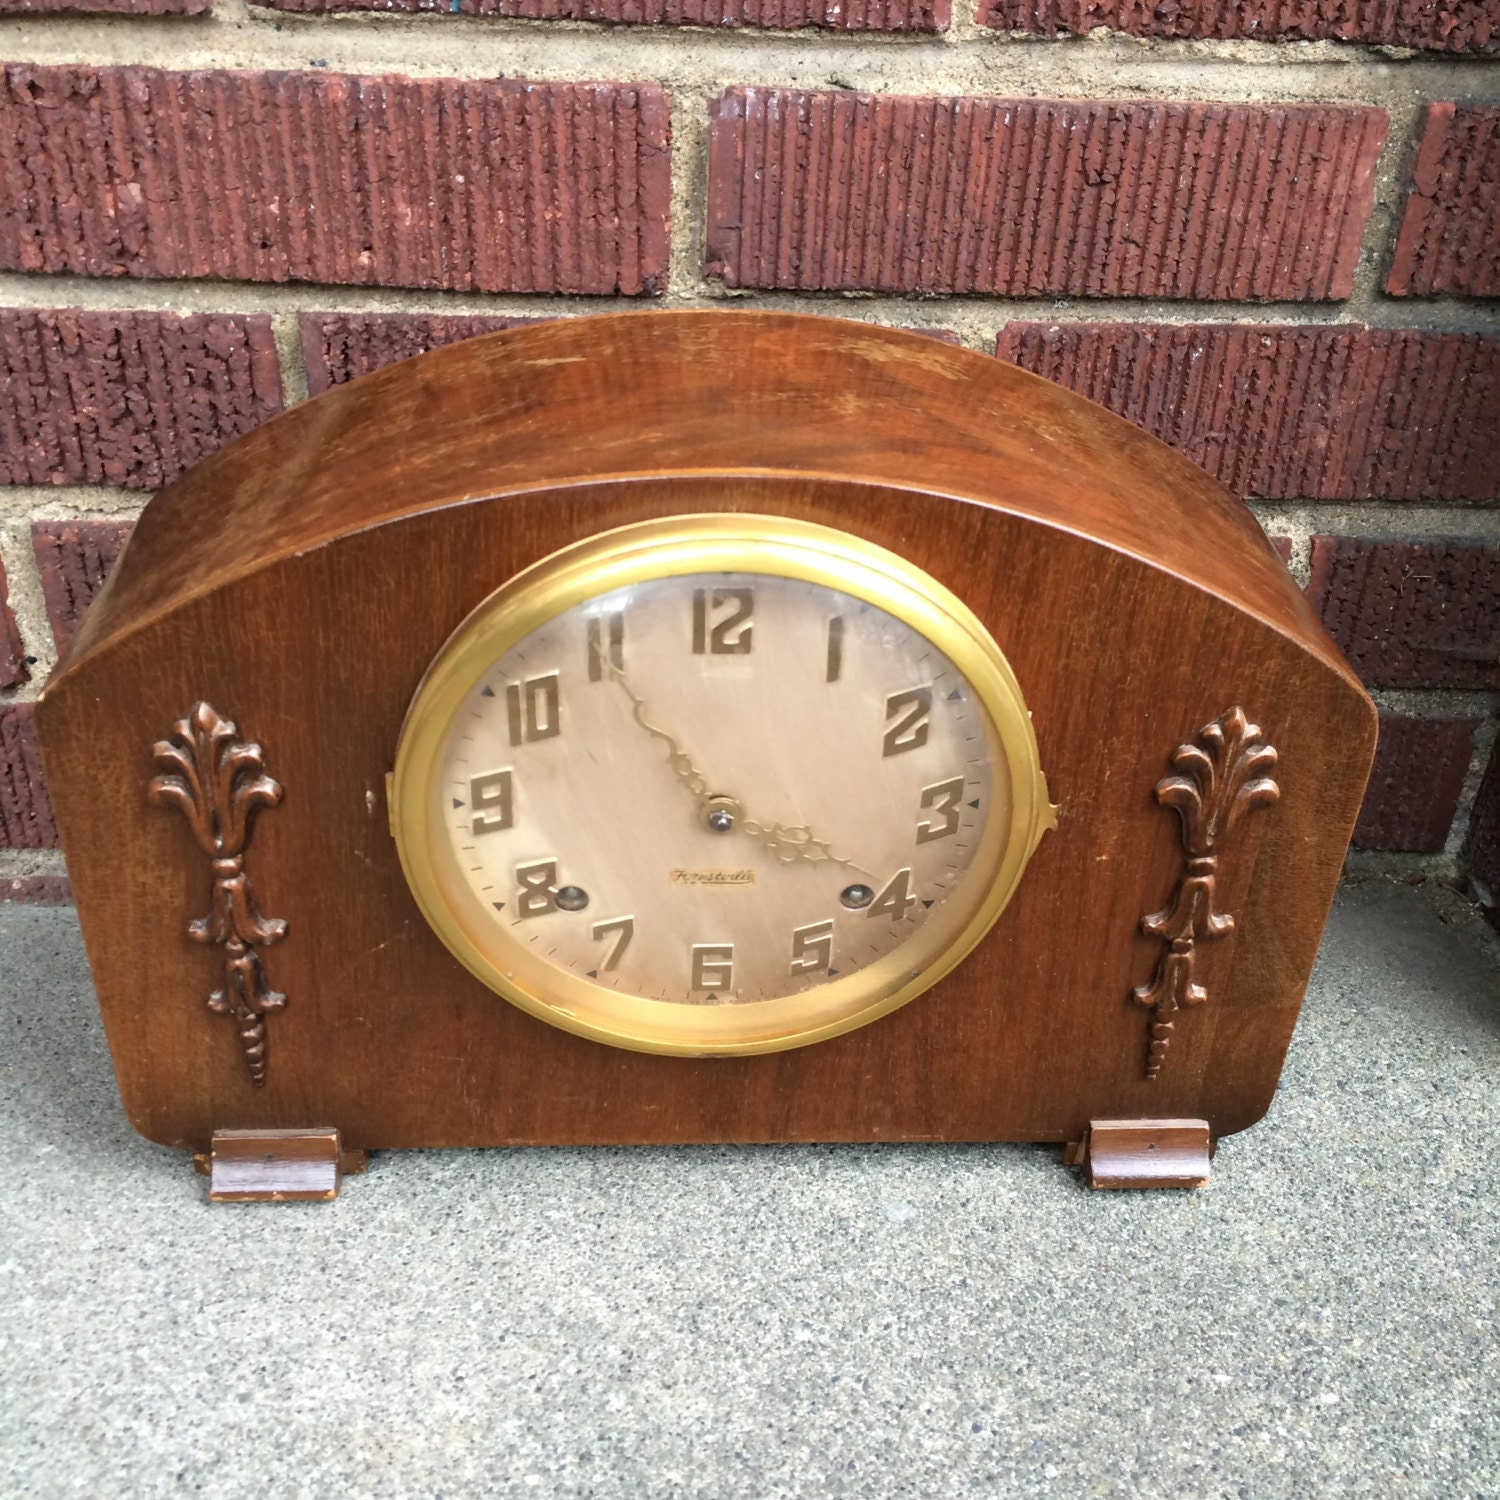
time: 3:54
